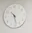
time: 10:28
